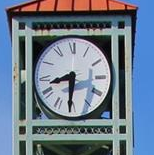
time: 8:30
